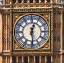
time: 12:28
